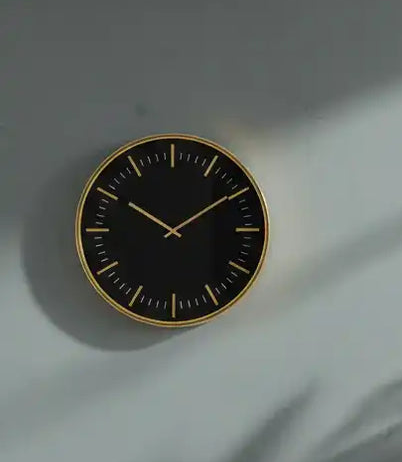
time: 10:09
